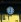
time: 12:32
